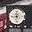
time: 8:32
